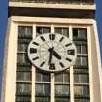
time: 4:31
